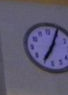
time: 7:04
